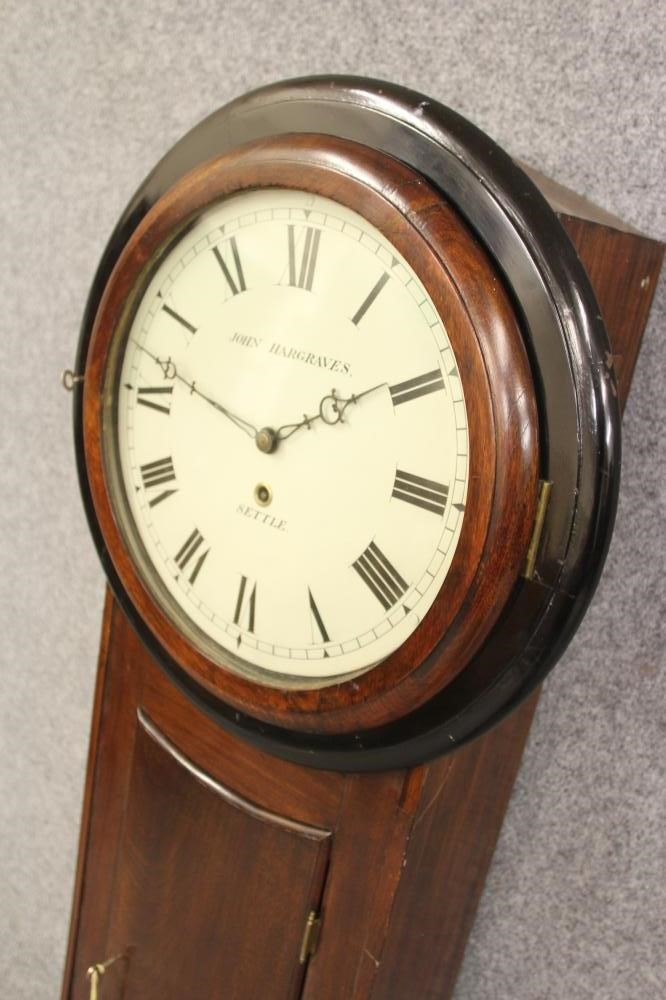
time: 1:47
